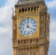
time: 4:00
